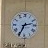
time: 2:34
